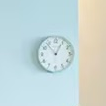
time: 12:53
